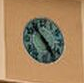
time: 4:53
